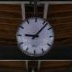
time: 9:07
